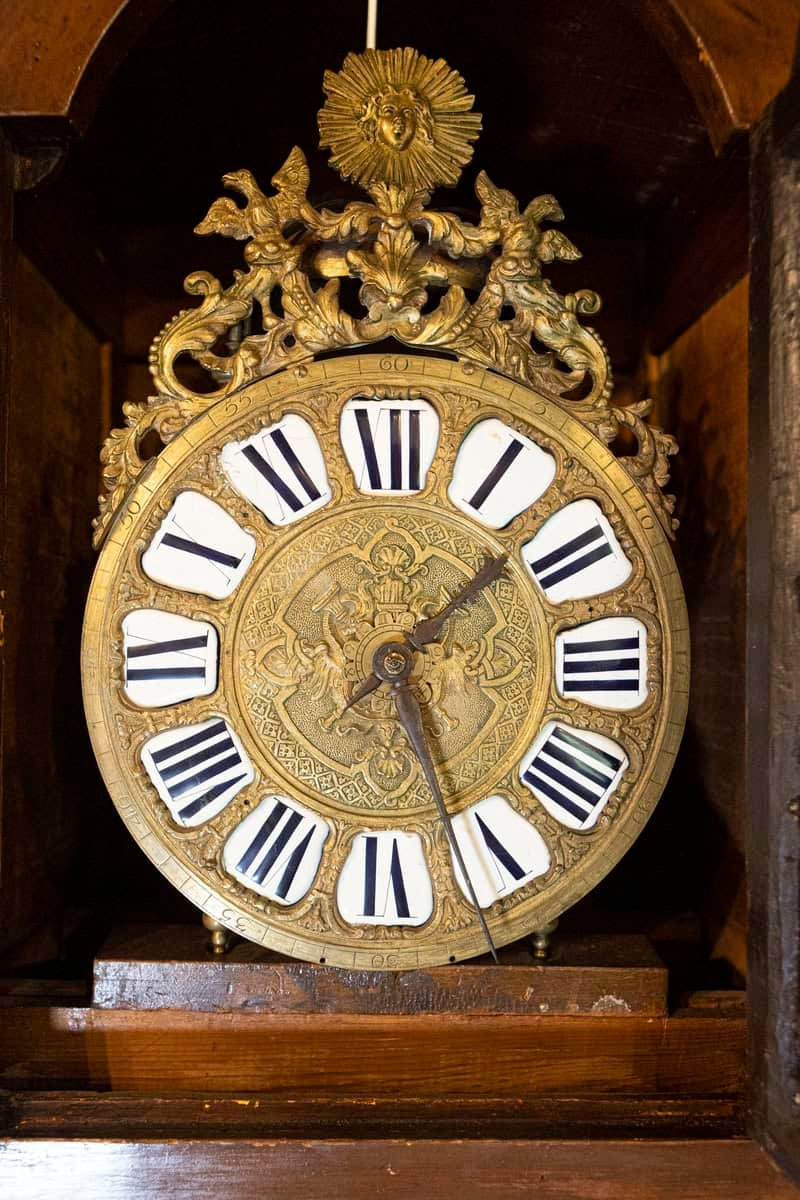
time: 1:26
